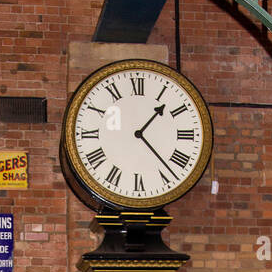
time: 1:23
